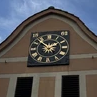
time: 1:52
